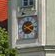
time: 2:21
